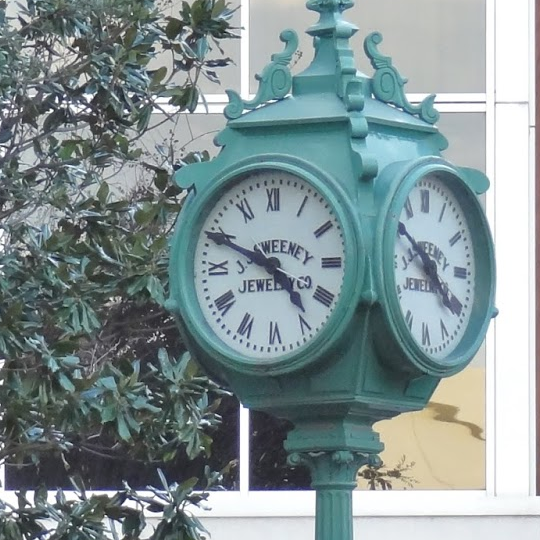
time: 4:49
